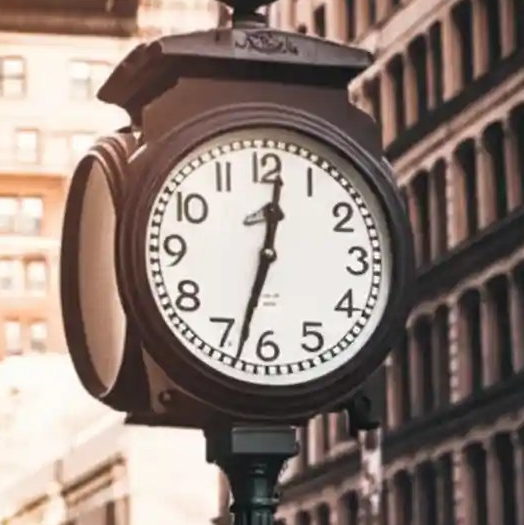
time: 12:32
